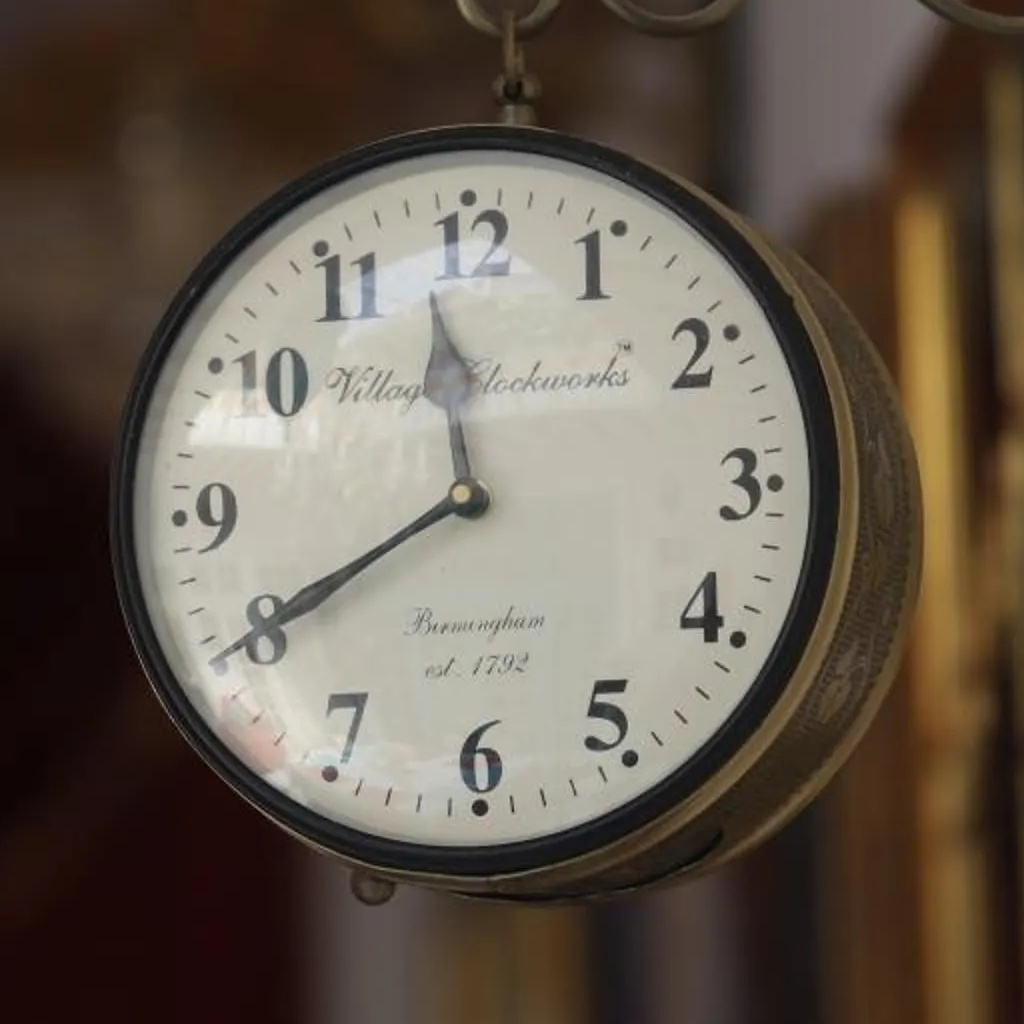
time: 11:40
